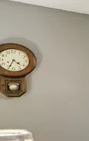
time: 4:34
